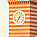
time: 7:04
